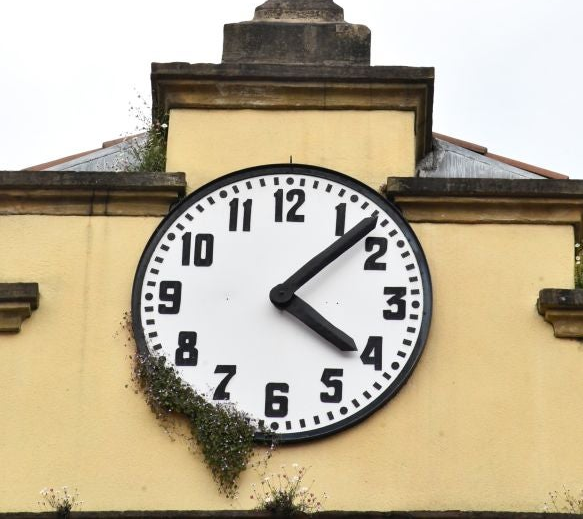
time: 4:07
